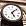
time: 5:07
